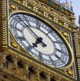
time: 6:53
